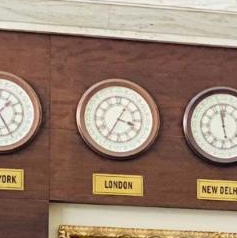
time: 3:35
